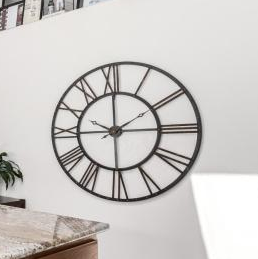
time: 2:00
